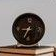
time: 8:34
